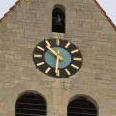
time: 10:30
